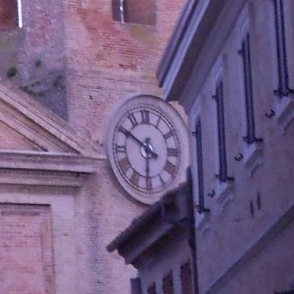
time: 5:50
